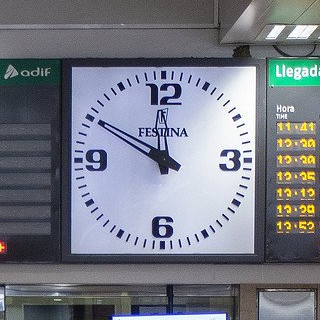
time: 11:49
